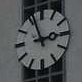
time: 2:56
